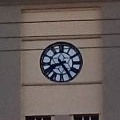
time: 8:24
